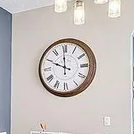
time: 11:49
